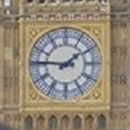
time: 1:46
